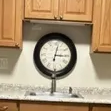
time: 3:02
